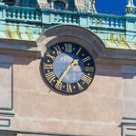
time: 1:36
